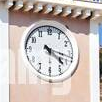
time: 4:17
